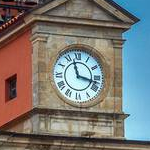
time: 11:17
